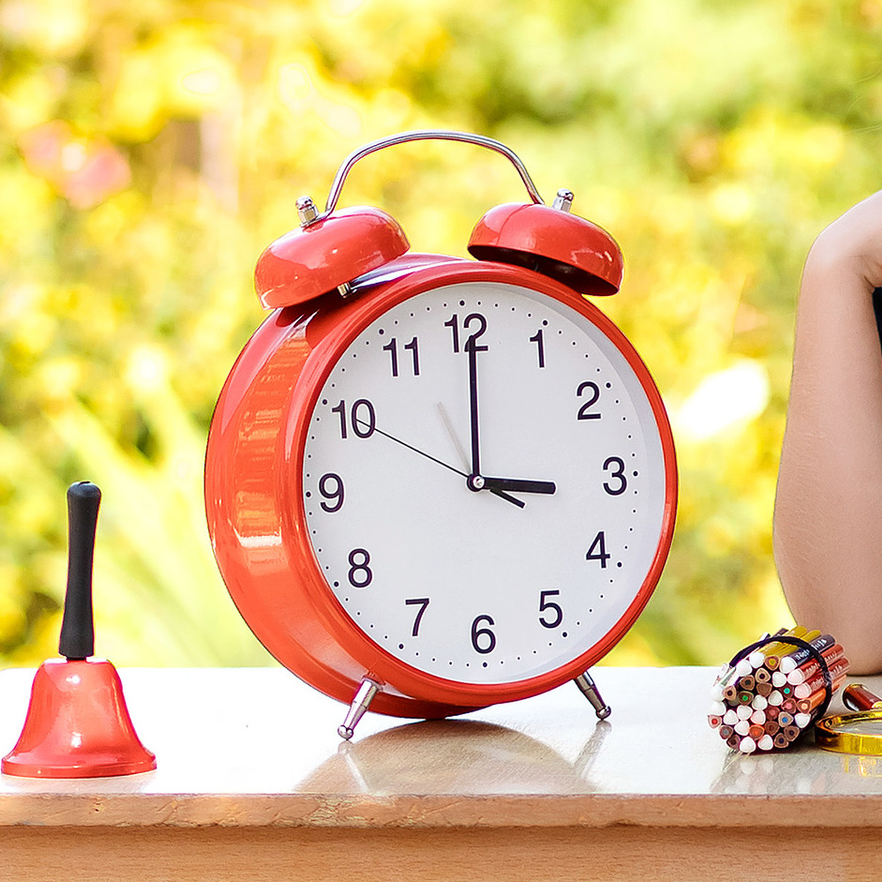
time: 3:00
